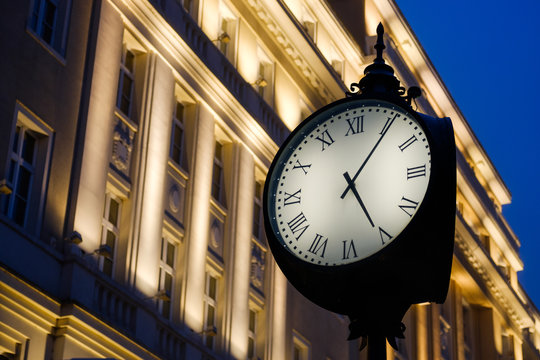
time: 5:05
